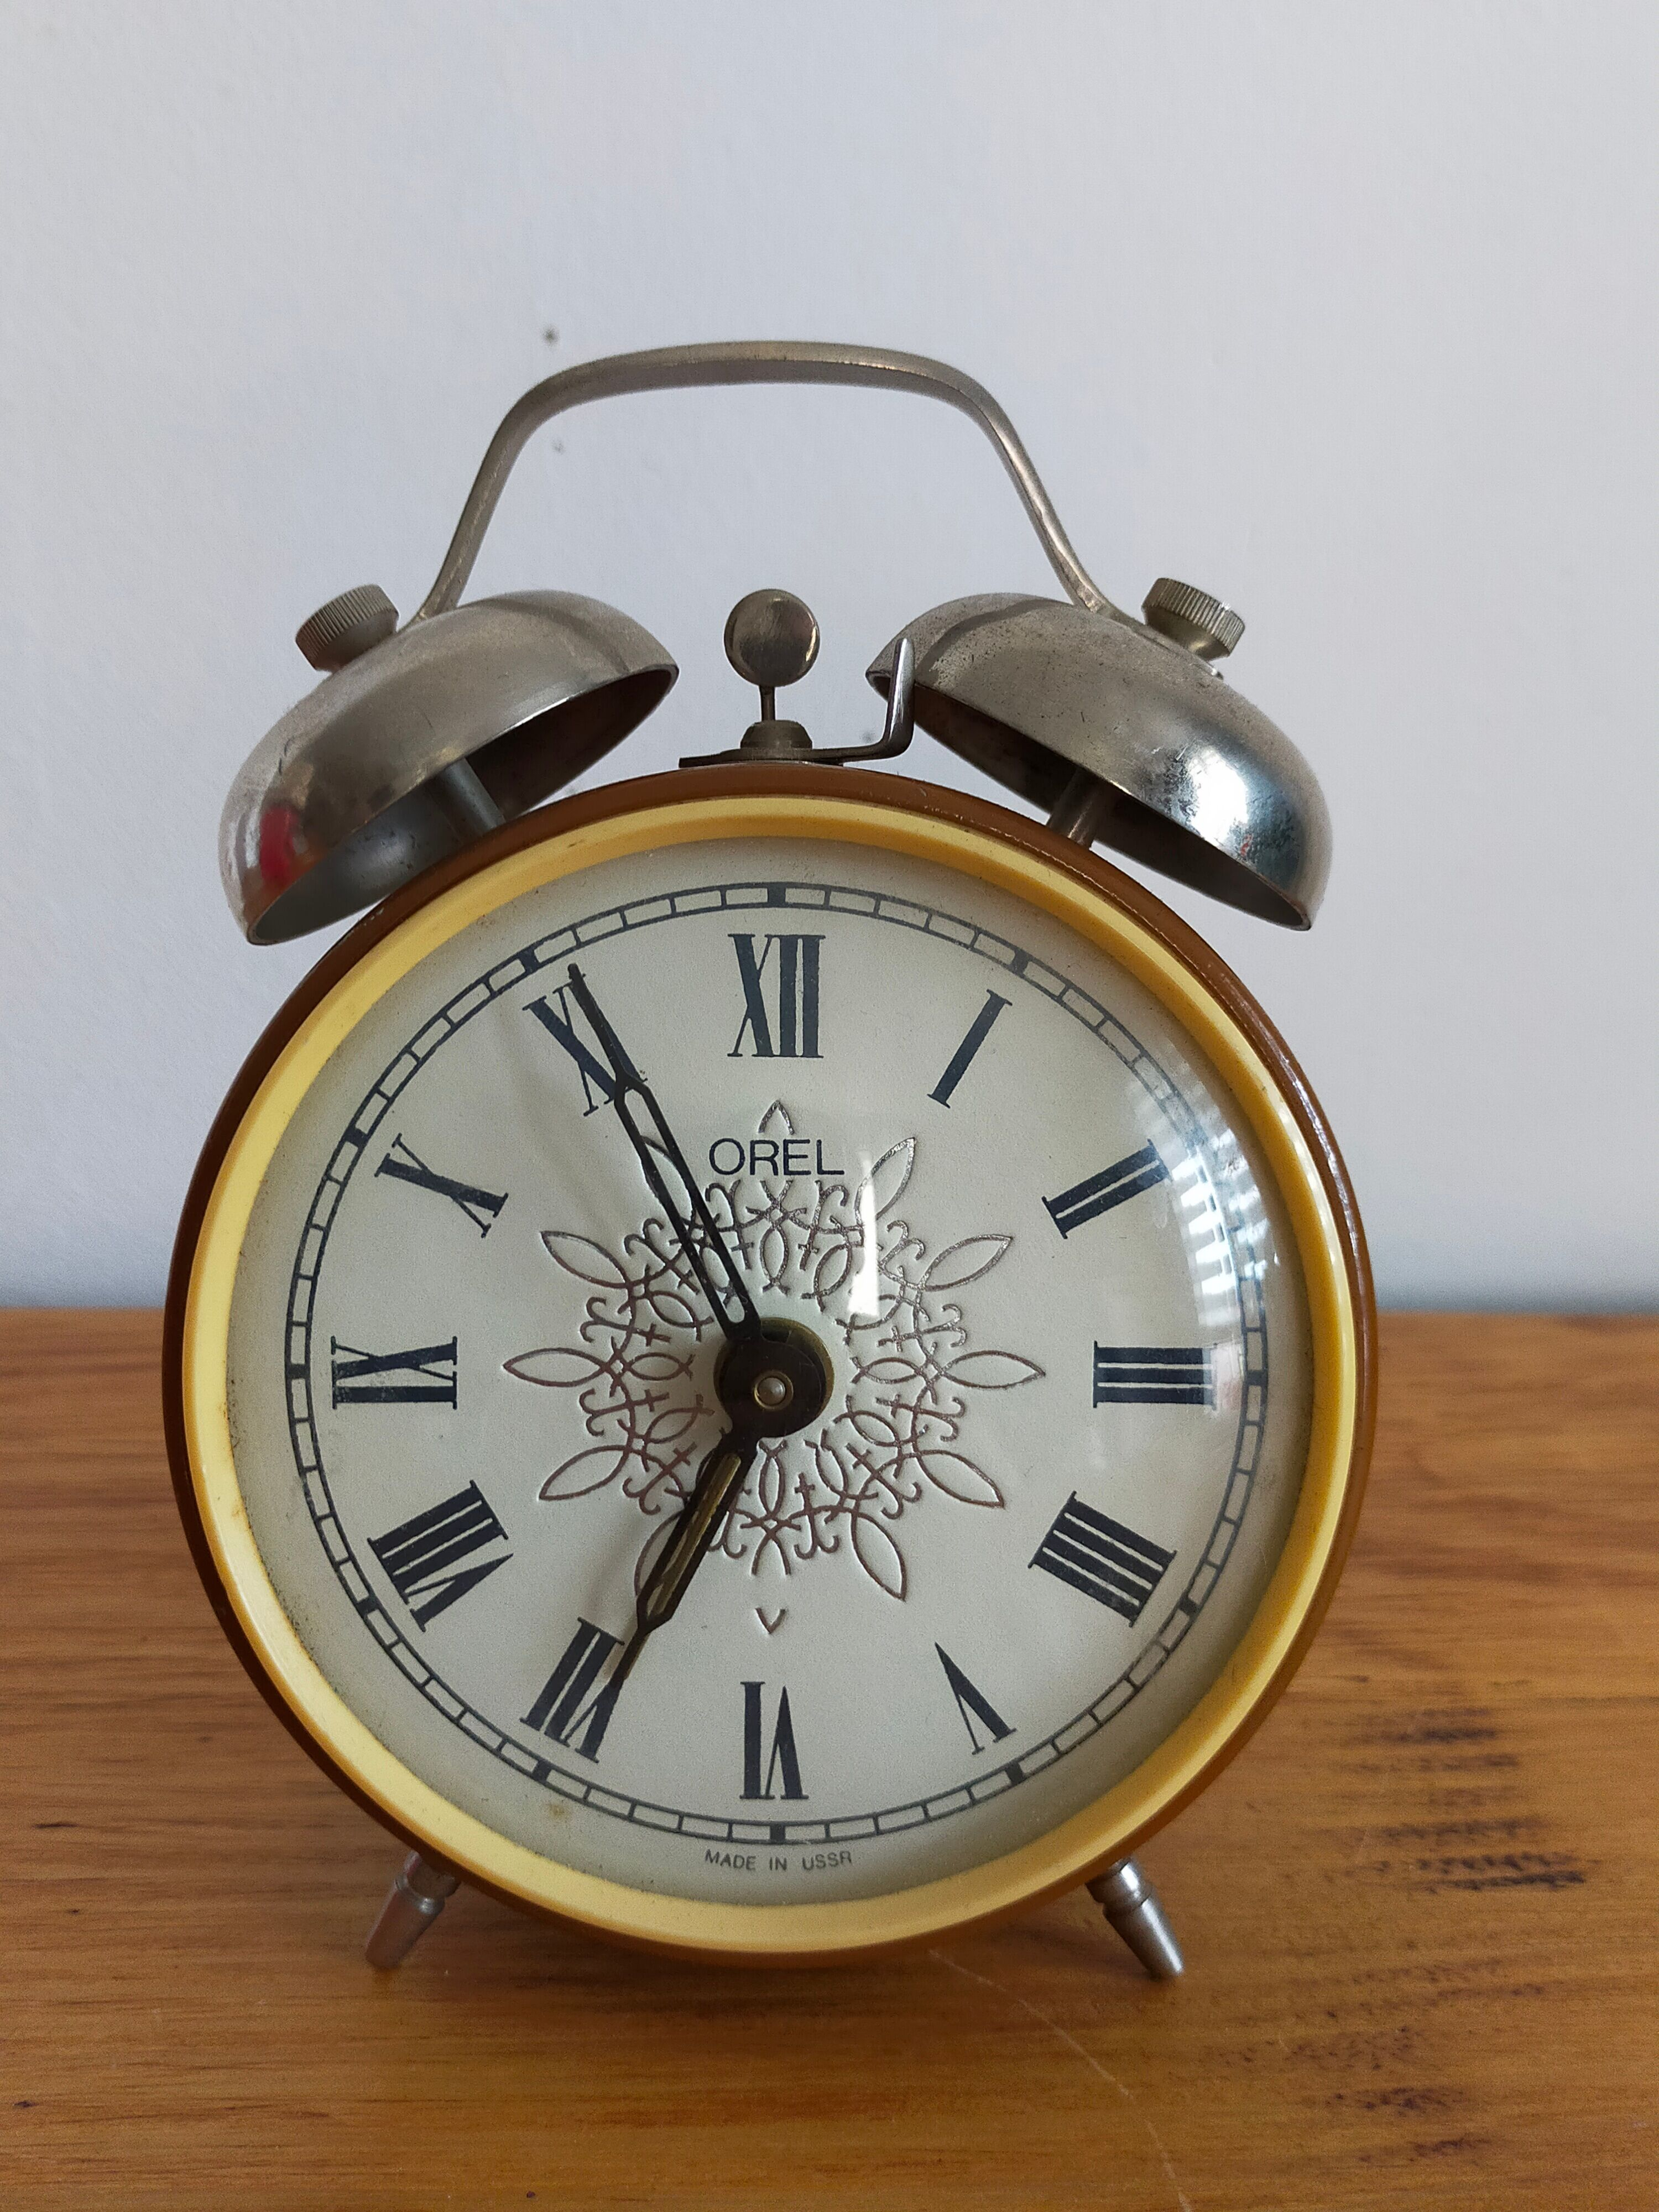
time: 6:55
